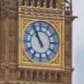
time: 10:55
